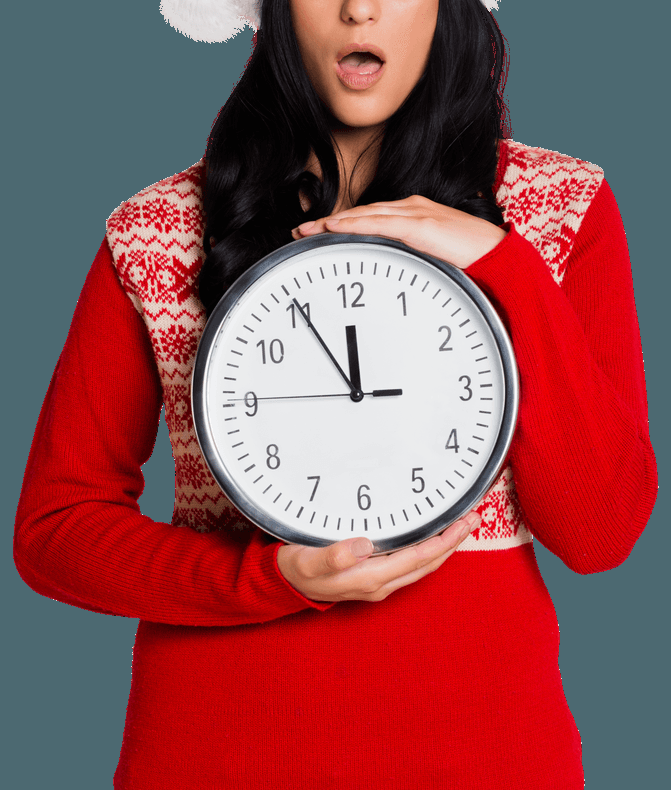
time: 11:54
